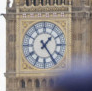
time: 1:24
